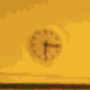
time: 6:16
